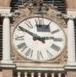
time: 2:50
